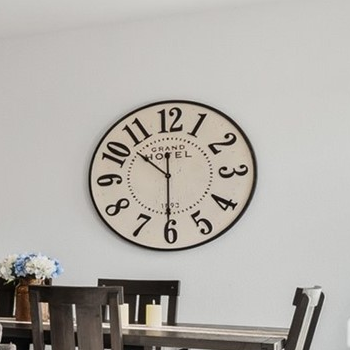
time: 10:30
